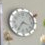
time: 7:18
